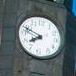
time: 7:48
